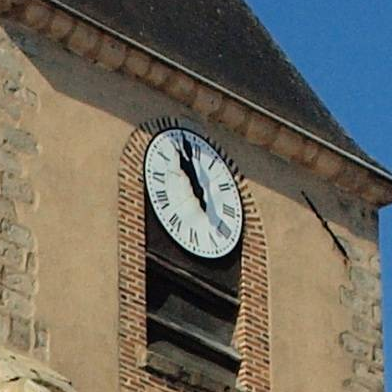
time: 10:57
